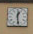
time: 12:28
